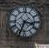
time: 3:34
